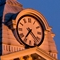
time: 7:22
